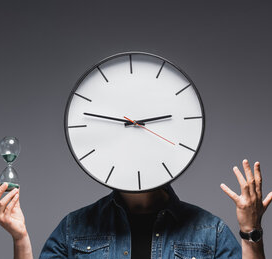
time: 2:47
